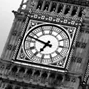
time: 6:47
